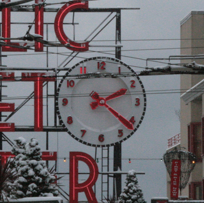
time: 2:21
